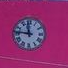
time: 11:46
